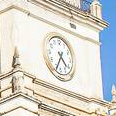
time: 4:34
